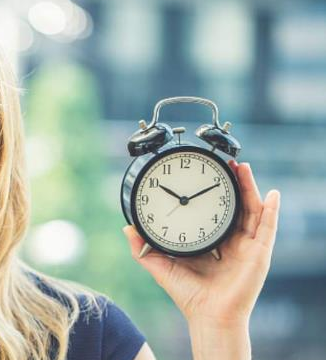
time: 10:10
